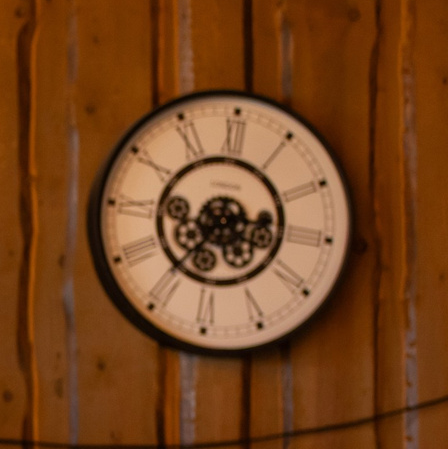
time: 7:15
